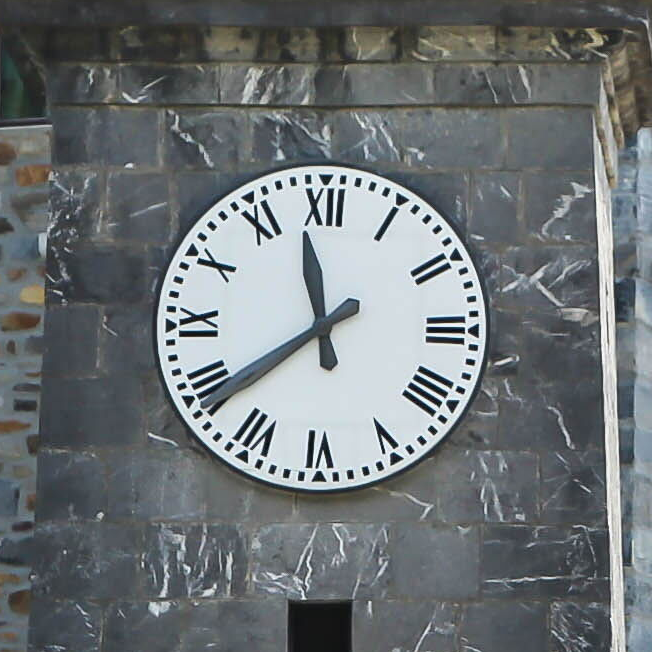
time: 11:38
